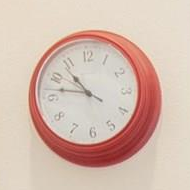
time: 10:47
